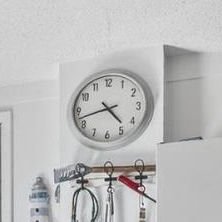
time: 4:42
